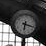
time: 6:17
